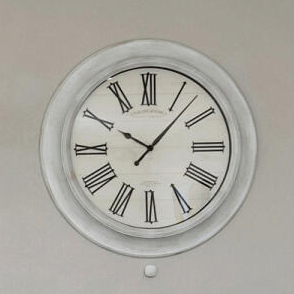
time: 10:07
